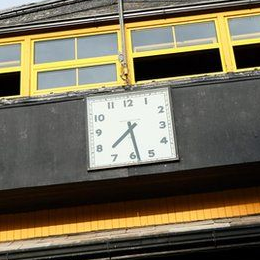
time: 7:28
